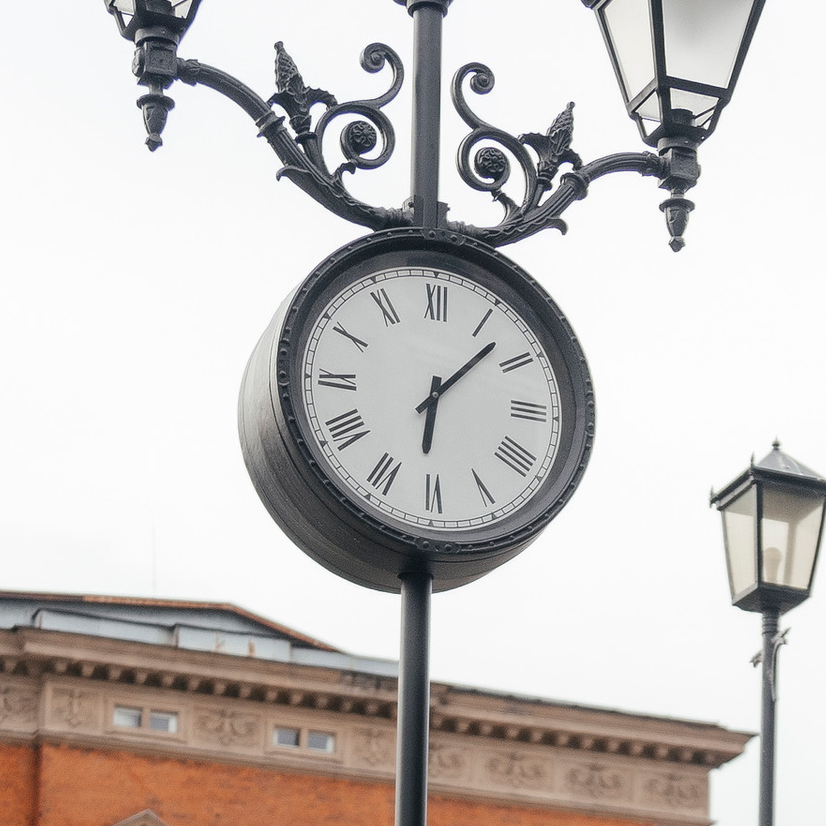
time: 6:07
